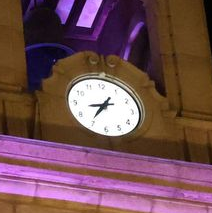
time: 8:35
